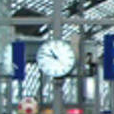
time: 10:47
